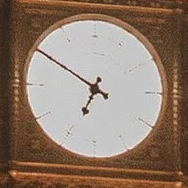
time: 6:50
